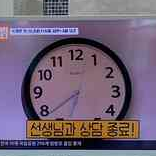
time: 6:38
